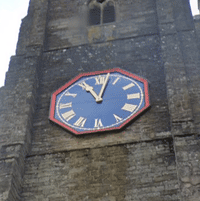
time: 11:02
